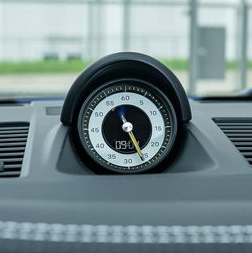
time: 11:26
